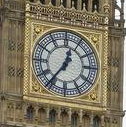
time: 12:36
